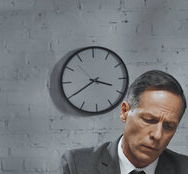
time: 3:39
